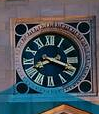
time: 3:40
